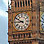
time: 8:50
